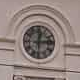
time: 12:13
